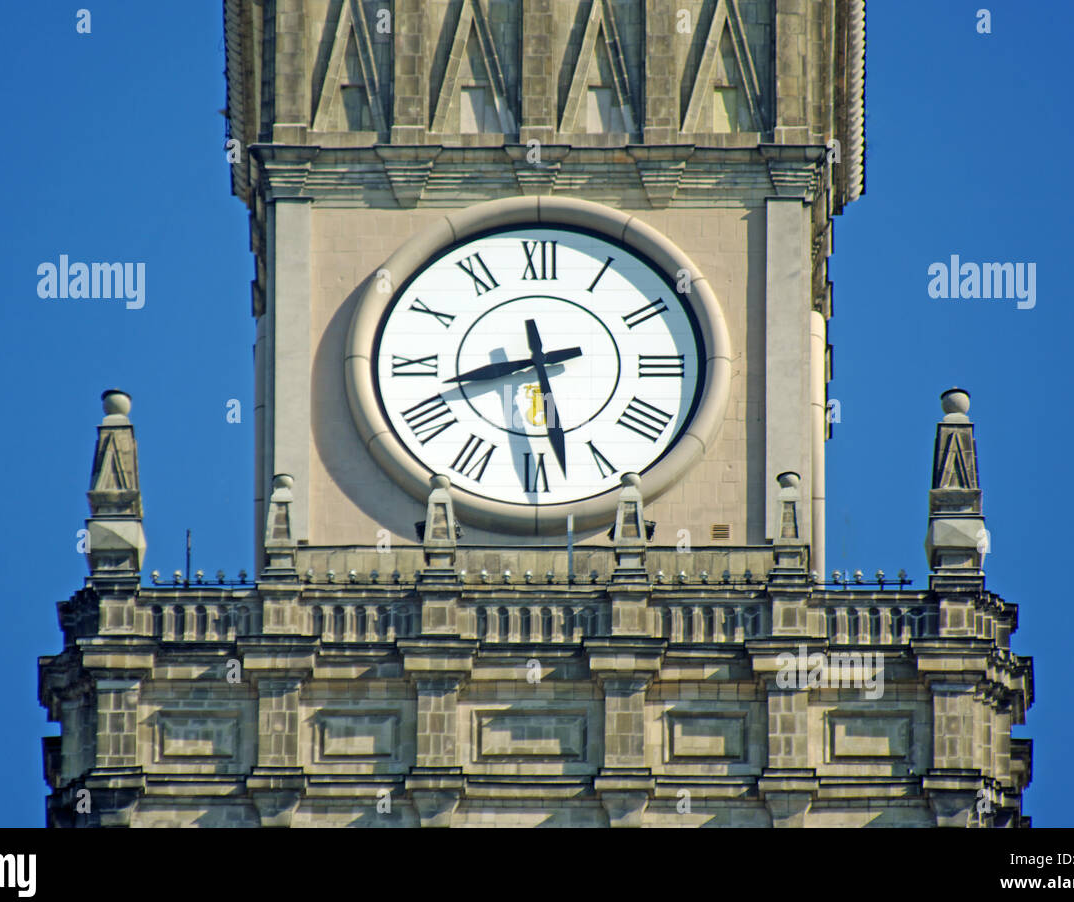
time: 8:27
